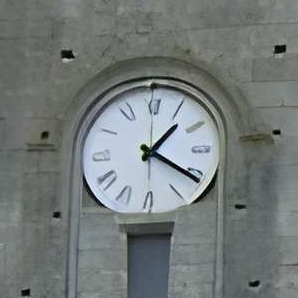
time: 1:20
